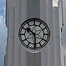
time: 10:28
